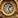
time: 1:26
